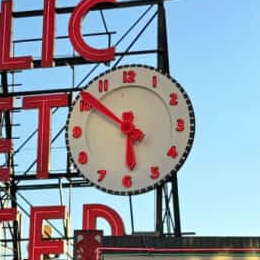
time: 5:51
